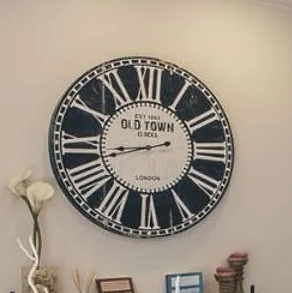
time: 8:42
